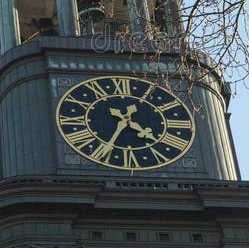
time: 4:34
